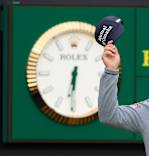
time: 6:30
